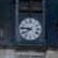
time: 7:46
